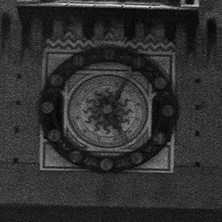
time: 5:04
